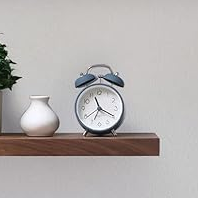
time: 11:19
